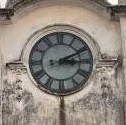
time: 3:10
